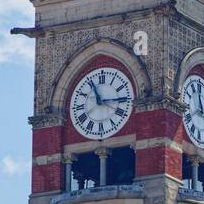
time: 11:14
